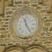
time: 11:24
